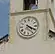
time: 4:19
